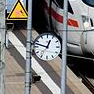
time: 12:47
